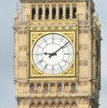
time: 9:08
